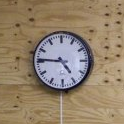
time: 4:45
